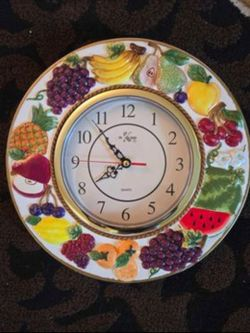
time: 7:53
